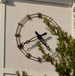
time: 4:40
